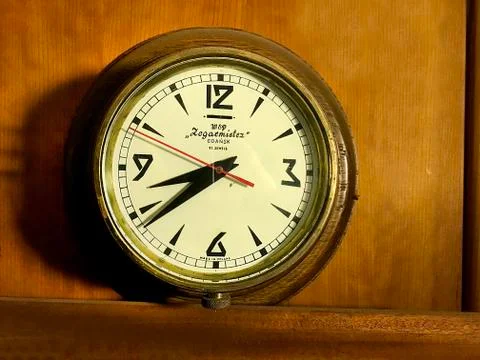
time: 8:38
